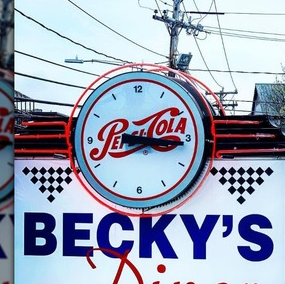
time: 3:15
